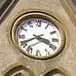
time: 3:40
